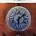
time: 6:08
